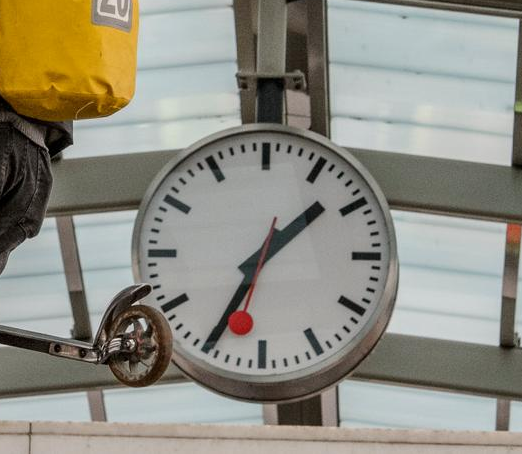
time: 1:34
